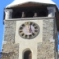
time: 4:59
